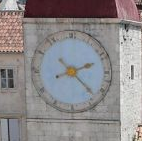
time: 2:22
